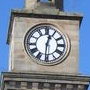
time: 12:30
